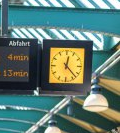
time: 12:22
